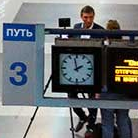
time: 1:58
